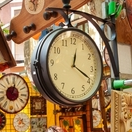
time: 12:19
